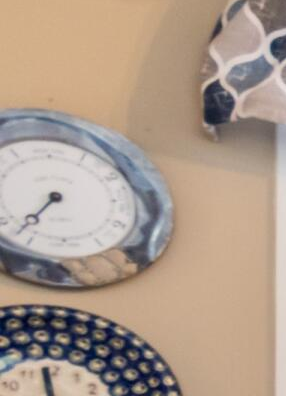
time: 7:36
